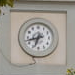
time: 6:42
